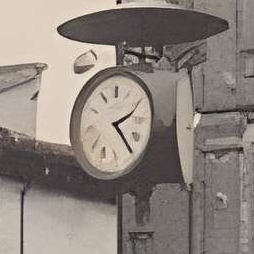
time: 2:23
